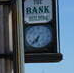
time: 6:36
